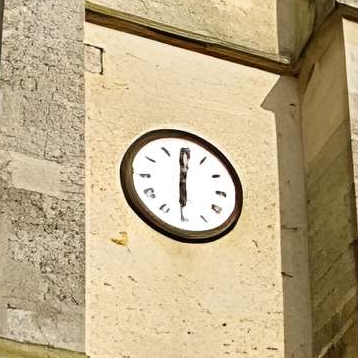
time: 5:59
